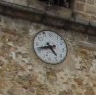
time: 4:42
